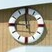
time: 11:45
